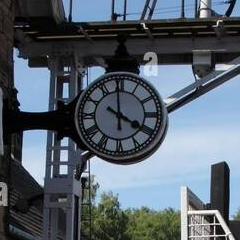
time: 3:59
